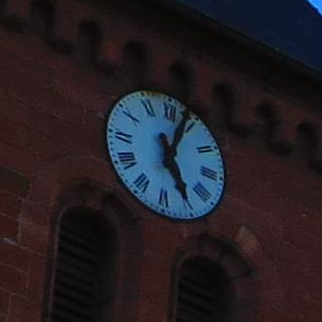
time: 5:03
